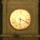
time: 6:18
